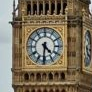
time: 4:31
